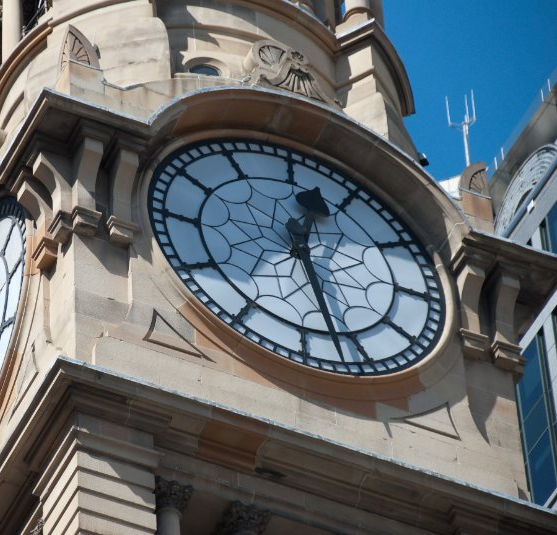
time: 12:27
